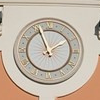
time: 1:56
